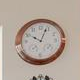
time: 10:03
